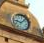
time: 9:07
